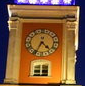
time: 4:34
